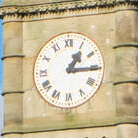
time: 1:15
